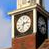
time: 2:32
